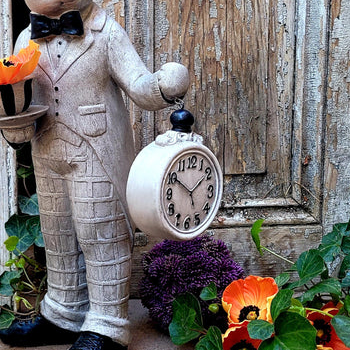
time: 1:50
